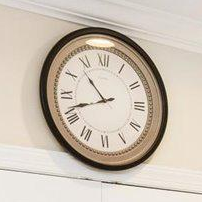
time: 10:41
